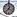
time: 12:37
